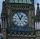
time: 12:55
